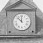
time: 11:52
